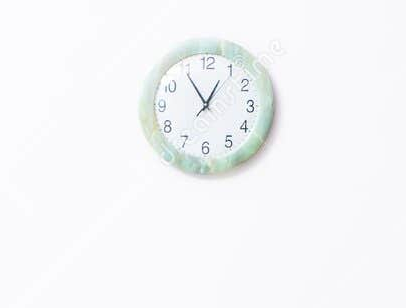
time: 12:54
